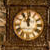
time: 11:55
